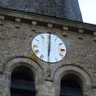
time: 6:00
